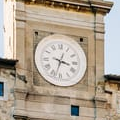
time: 3:33
